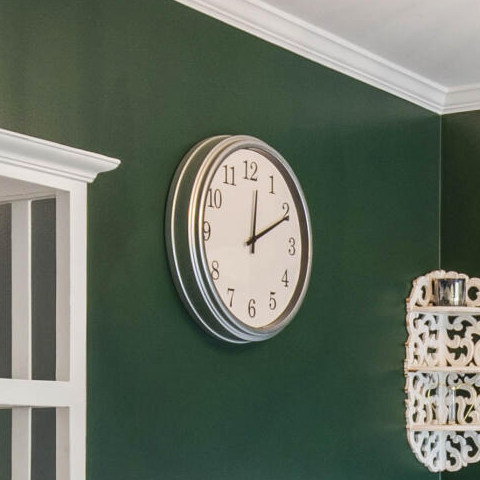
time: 12:10
